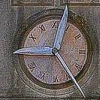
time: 12:24
